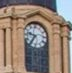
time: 9:36
